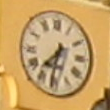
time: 7:32
